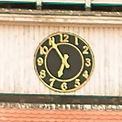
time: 6:54
